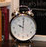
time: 10:00
